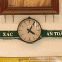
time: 4:04
